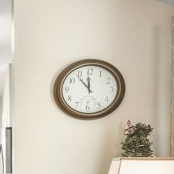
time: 11:53
